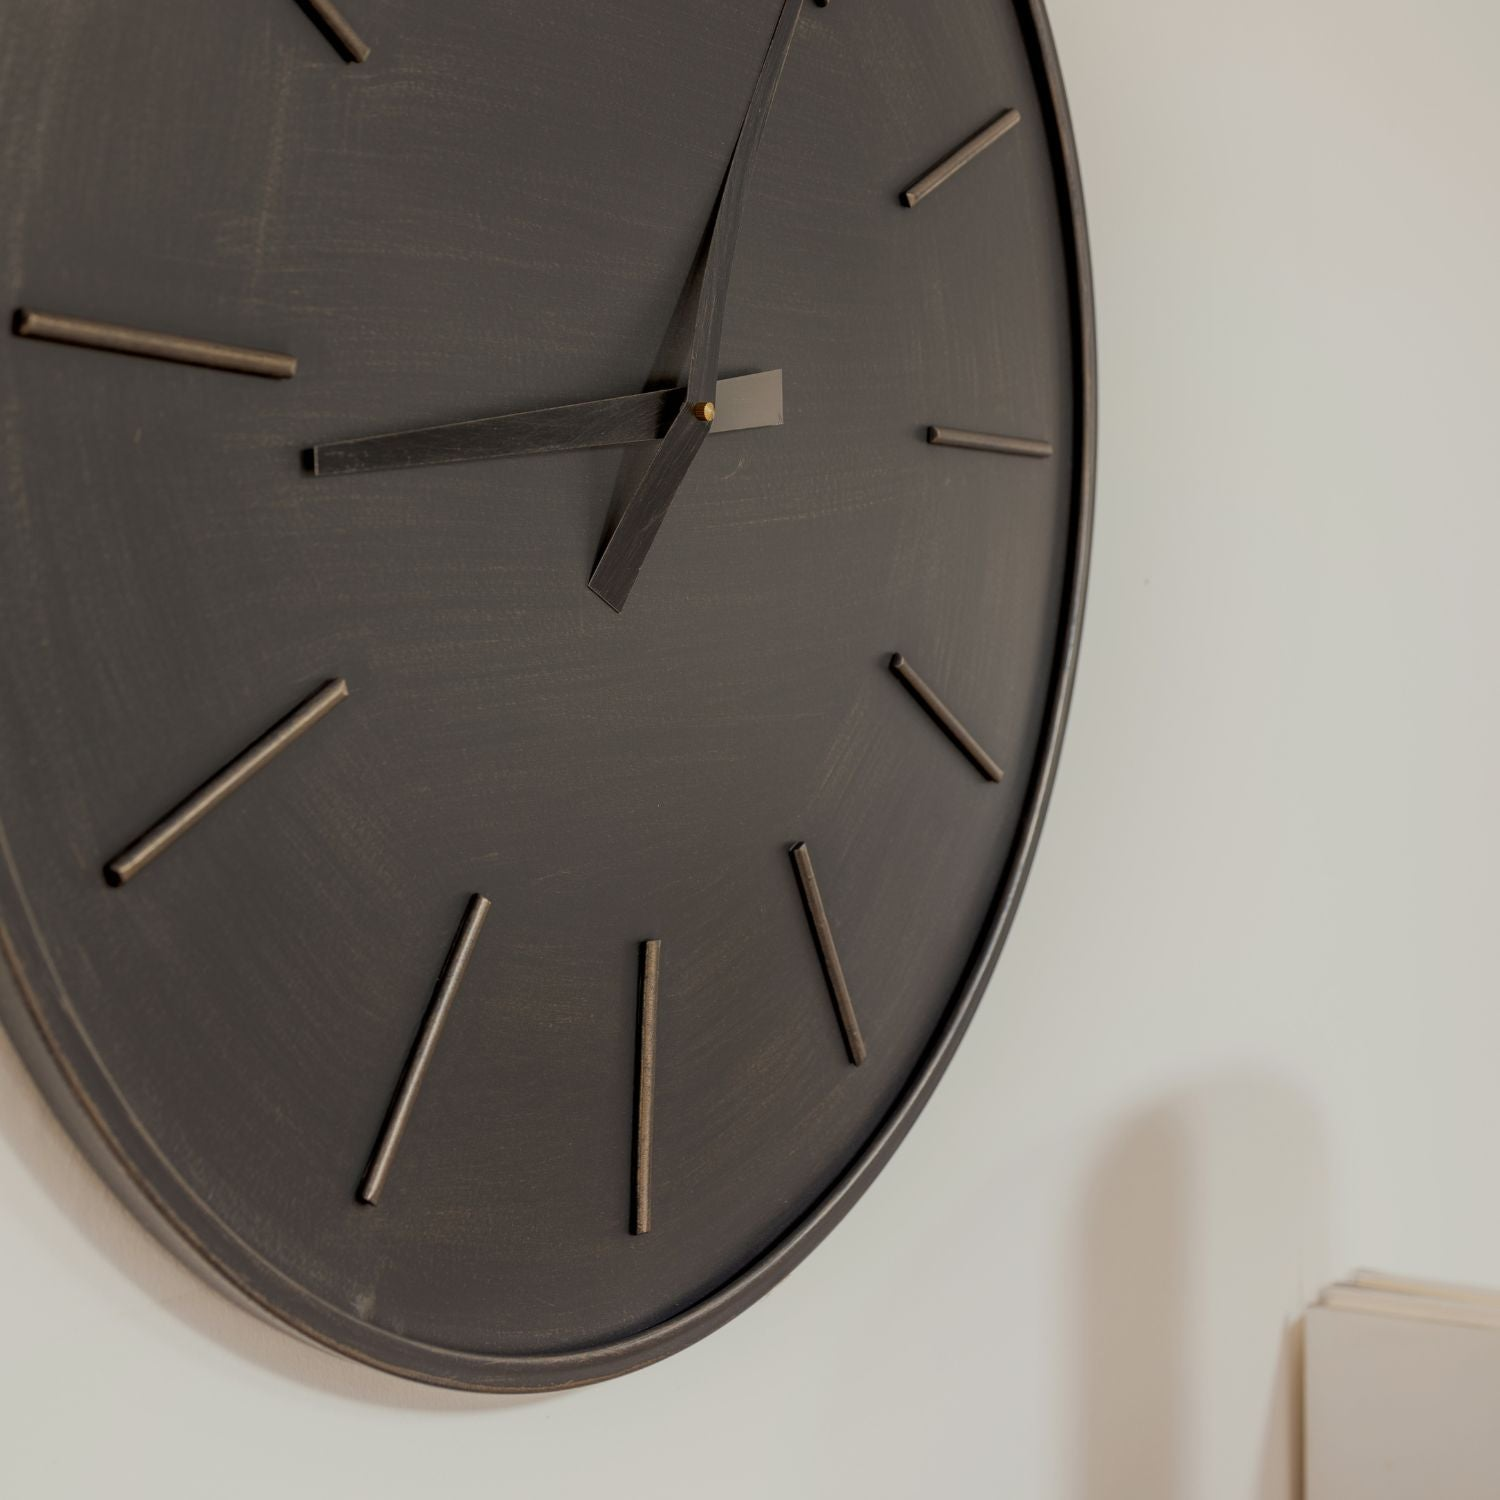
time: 9:04
